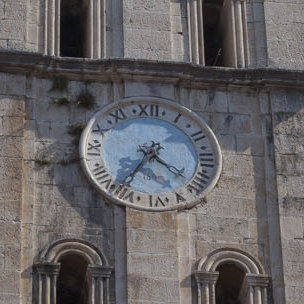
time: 4:35
